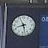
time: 8:27
